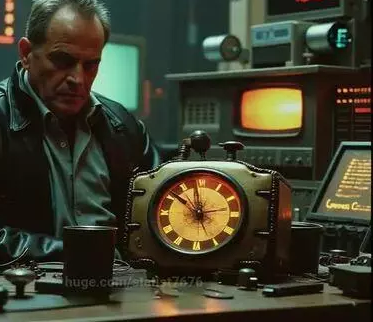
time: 11:52
